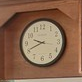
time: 9:40
